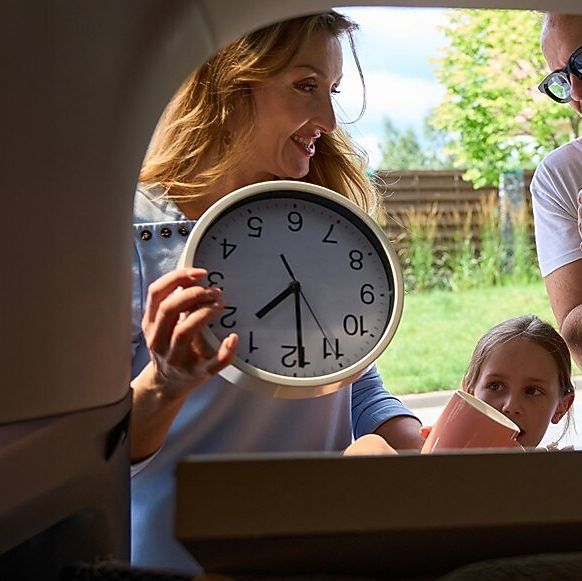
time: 7:29
